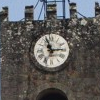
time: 11:14
